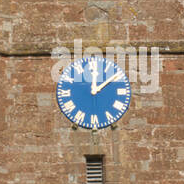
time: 12:08
